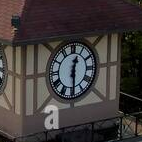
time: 12:29
